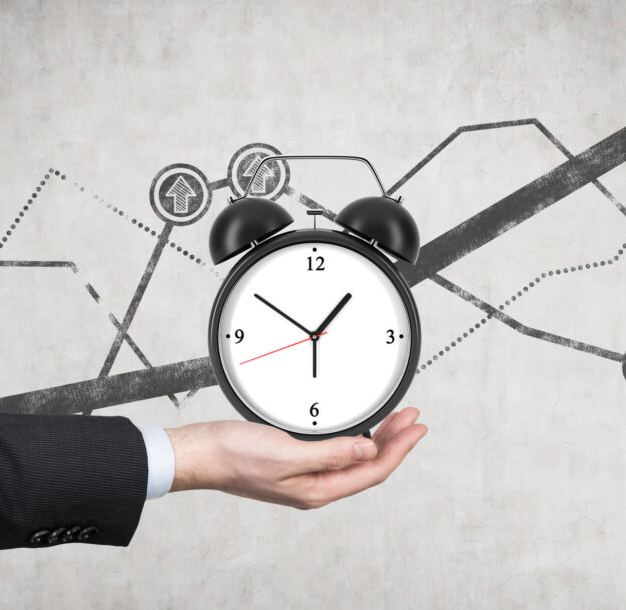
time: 1:50
